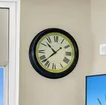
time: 10:37
